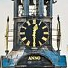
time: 12:30
